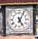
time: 5:04
